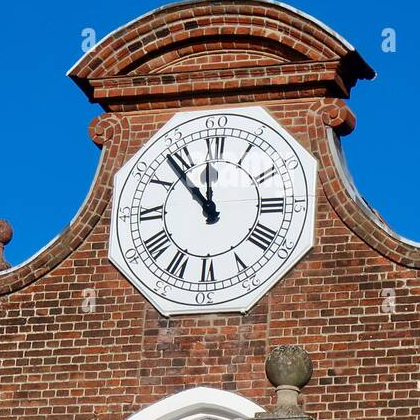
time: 11:52
